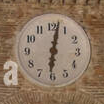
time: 6:02
